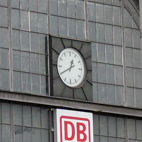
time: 12:40
